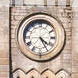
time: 4:25
